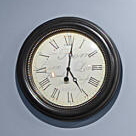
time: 5:01
